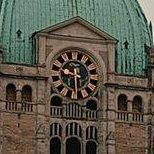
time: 9:29
